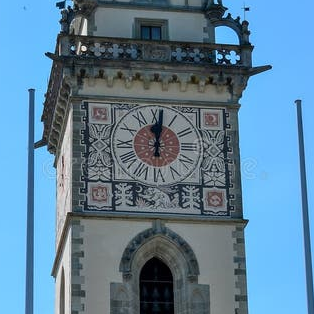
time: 12:01
